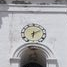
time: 6:10
